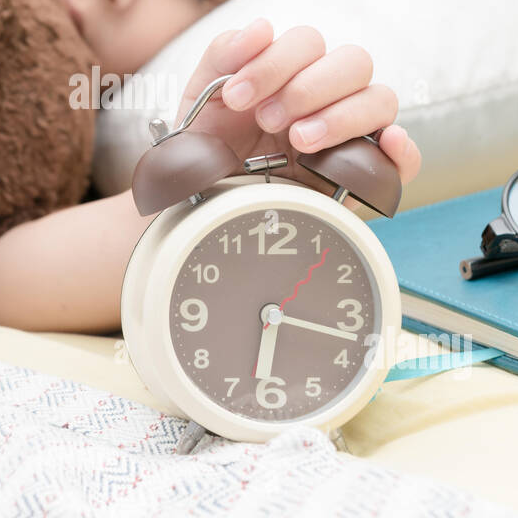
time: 6:17
